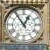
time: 12:54
